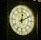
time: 12:10
